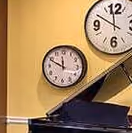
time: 11:49
